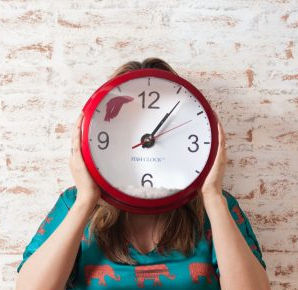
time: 1:06
